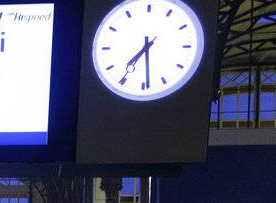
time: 7:28
